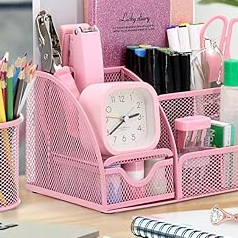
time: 2:39
